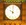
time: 10:00
